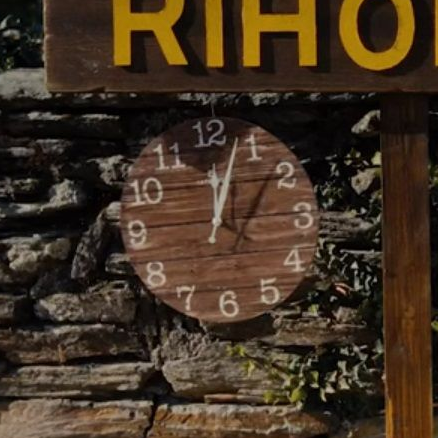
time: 12:03
